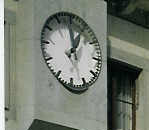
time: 12:59
